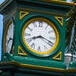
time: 8:18
